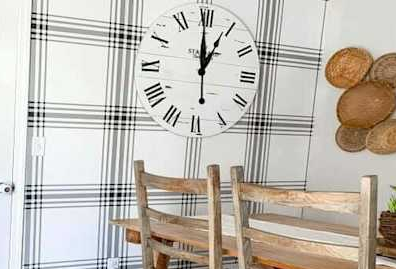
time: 12:59
